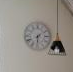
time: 6:08
